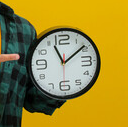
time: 11:08
